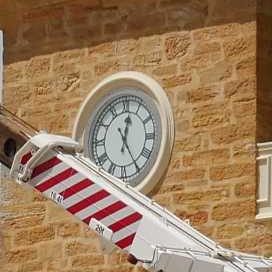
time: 12:24
